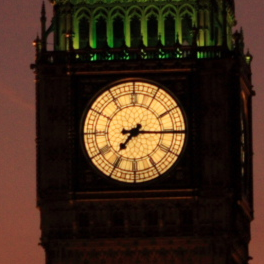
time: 7:15
